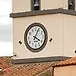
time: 4:04
